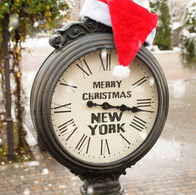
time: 3:16
